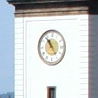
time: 10:53
